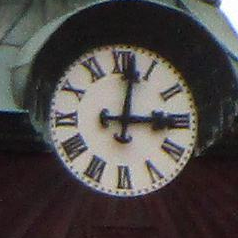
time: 3:01
